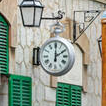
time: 2:00
